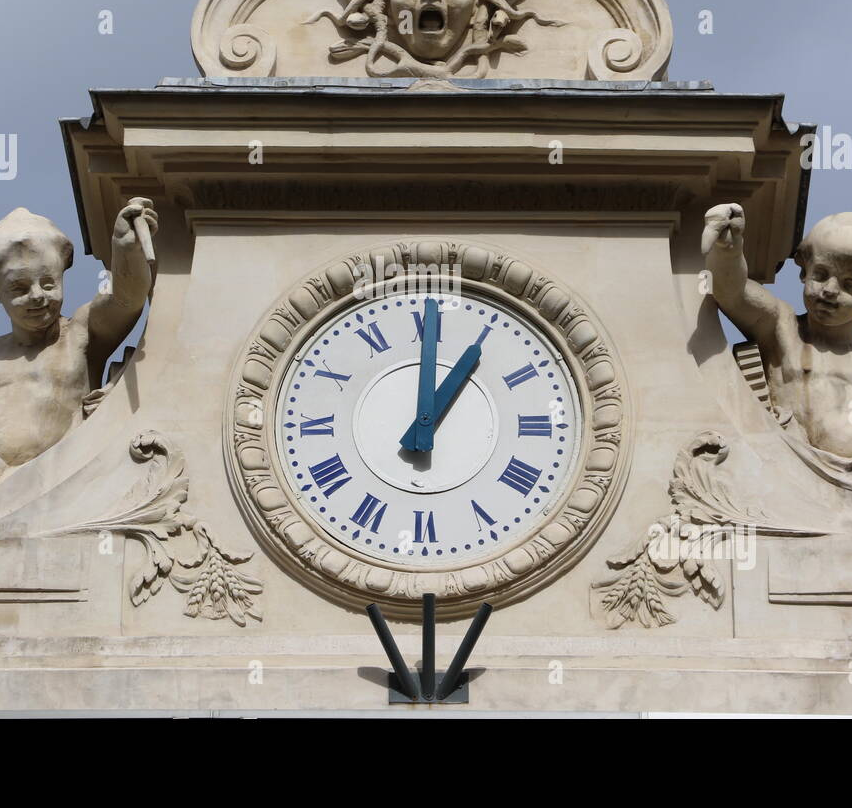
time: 1:00
